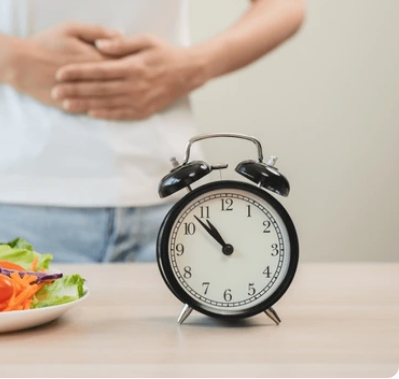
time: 10:52
